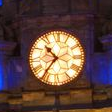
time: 10:36
